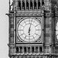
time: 6:02
